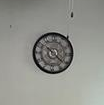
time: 10:21
